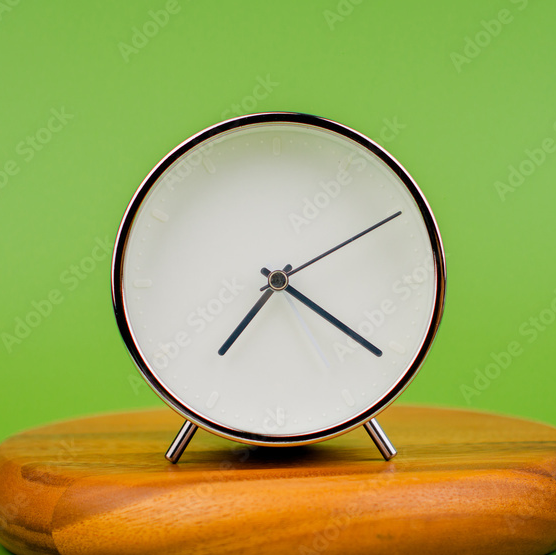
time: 7:20
